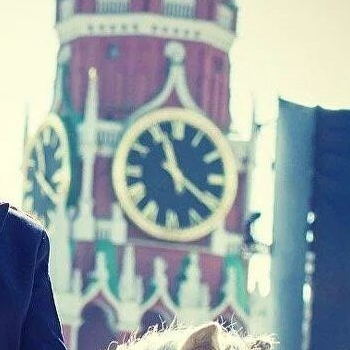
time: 11:21
